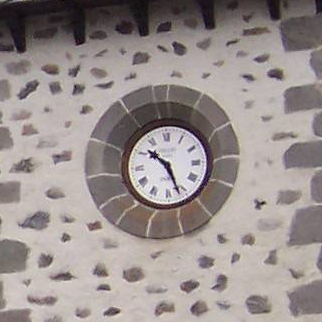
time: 10:26
